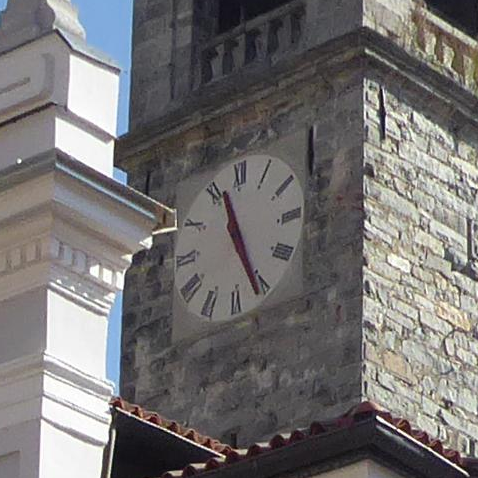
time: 11:26
